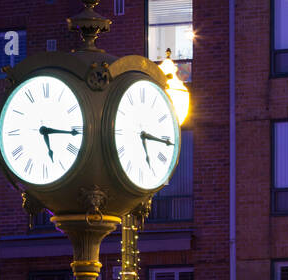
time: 5:15
